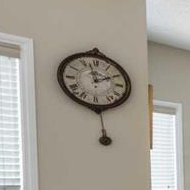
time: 1:57
